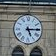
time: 5:14
